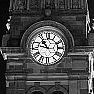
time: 10:47
